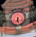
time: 6:27
